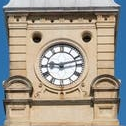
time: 9:12
